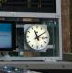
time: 11:09
